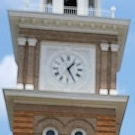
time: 1:25
